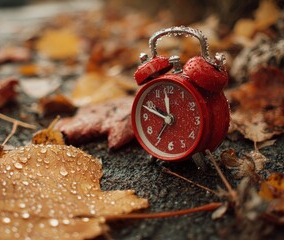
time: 11:48
